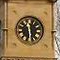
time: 11:28
